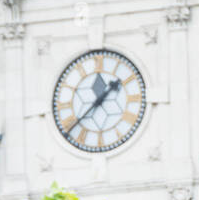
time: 1:38
